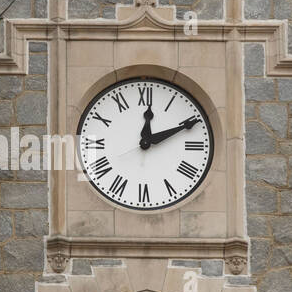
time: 12:10
